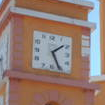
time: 5:08
